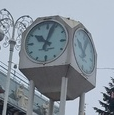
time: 10:02
